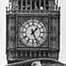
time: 1:26
